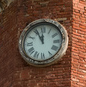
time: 11:55
